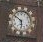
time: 5:51
